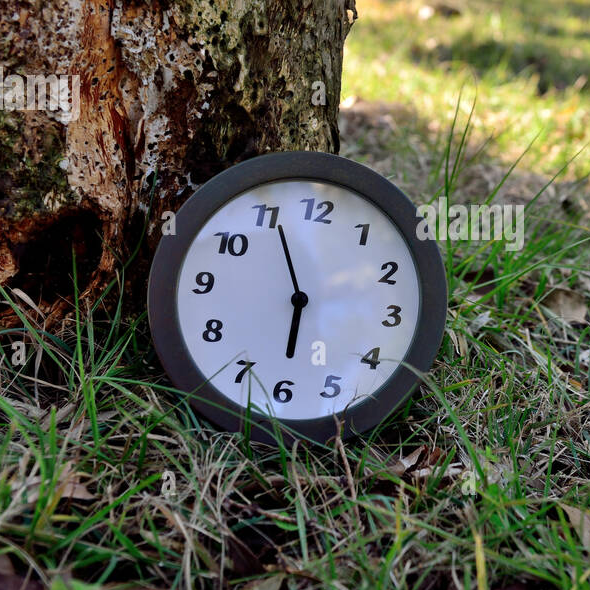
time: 5:55
